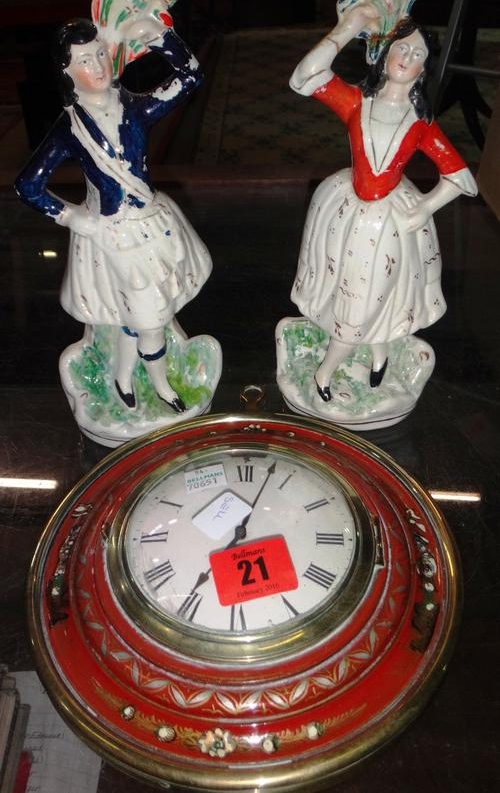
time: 5:03
